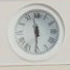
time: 11:30
